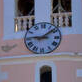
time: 9:08
